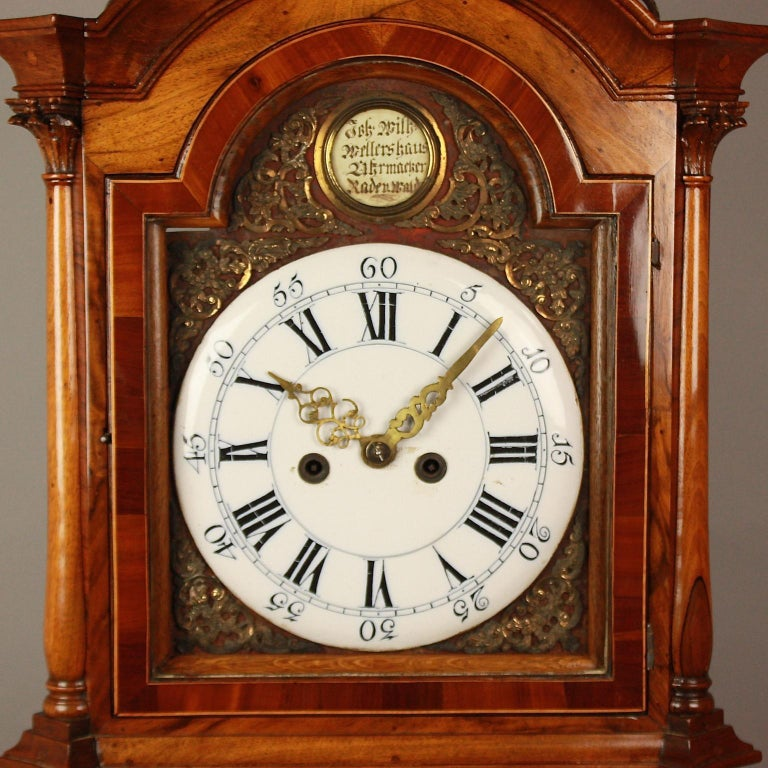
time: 10:07
